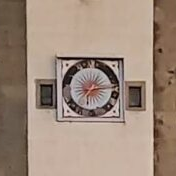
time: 7:13
